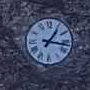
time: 1:16
